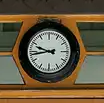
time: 9:43
